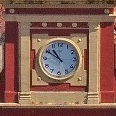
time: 10:50
